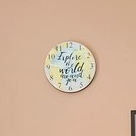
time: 1:32
